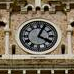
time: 4:04
